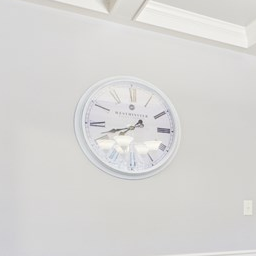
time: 1:41
